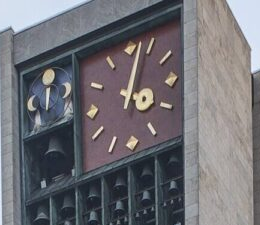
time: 4:02
